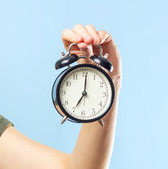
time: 7:00
